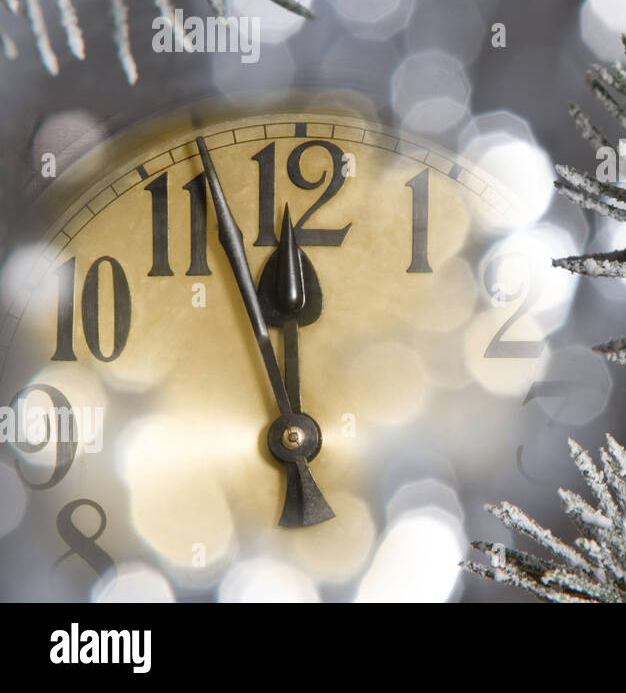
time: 11:56
